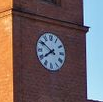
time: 7:50
